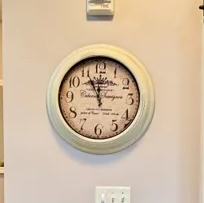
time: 11:55
